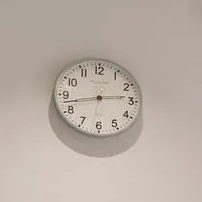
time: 2:42
